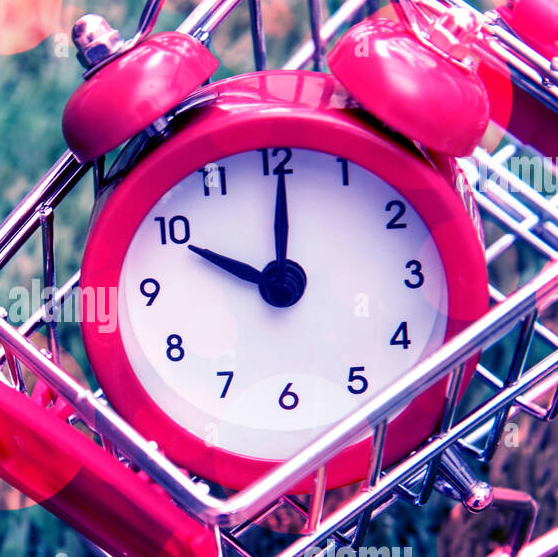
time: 10:00
